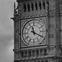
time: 11:19
